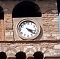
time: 4:17
